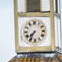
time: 7:35
